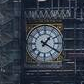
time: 1:20
